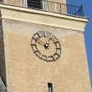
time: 12:49
